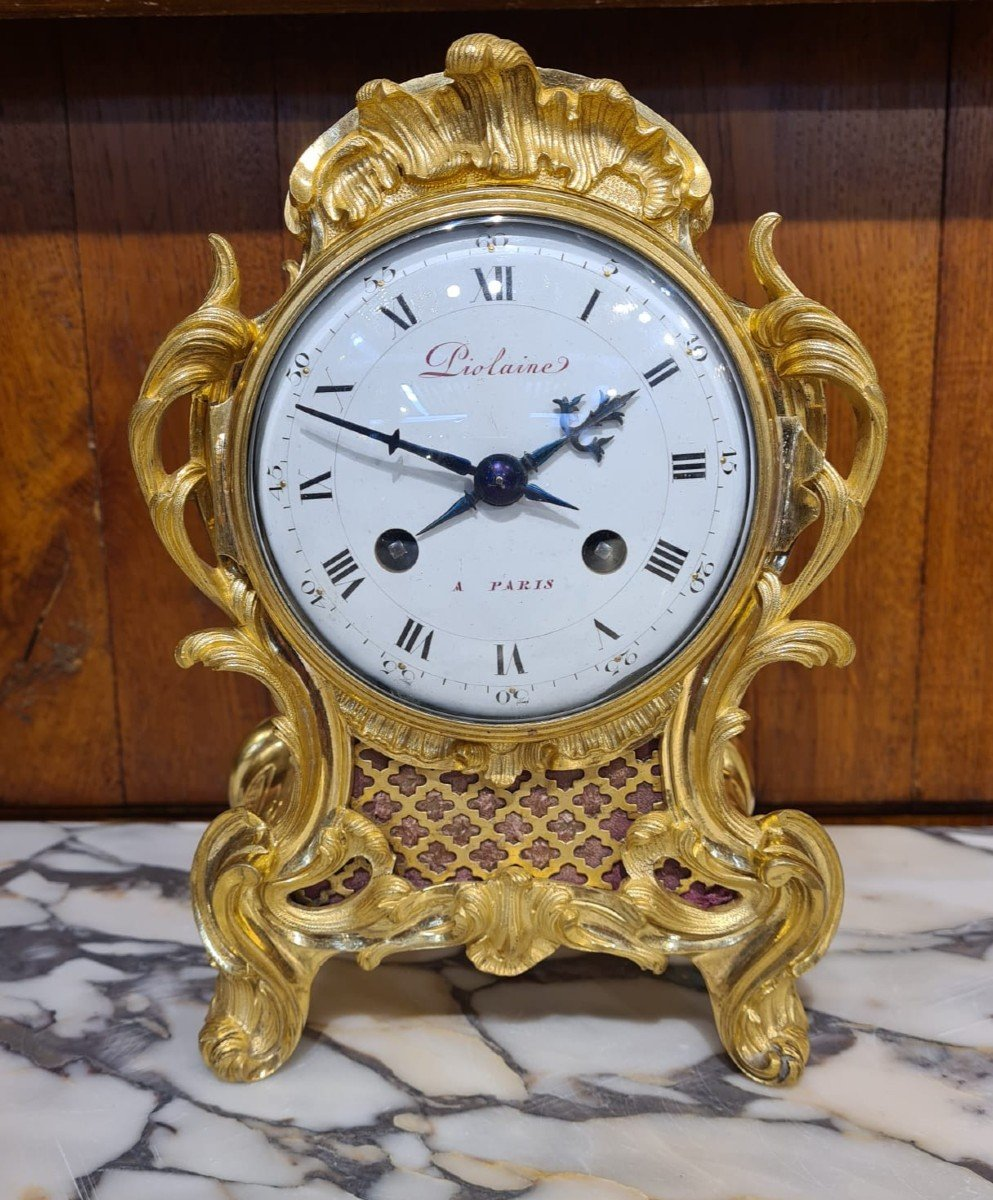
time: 1:48
